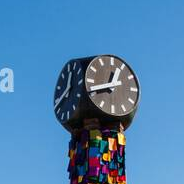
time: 12:41
